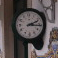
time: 2:15
